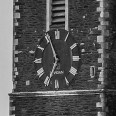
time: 6:56
